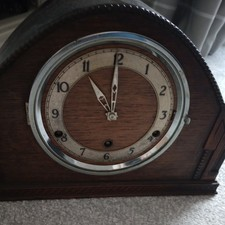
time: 11:00
